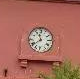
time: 11:38
